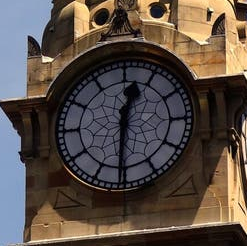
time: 12:30
